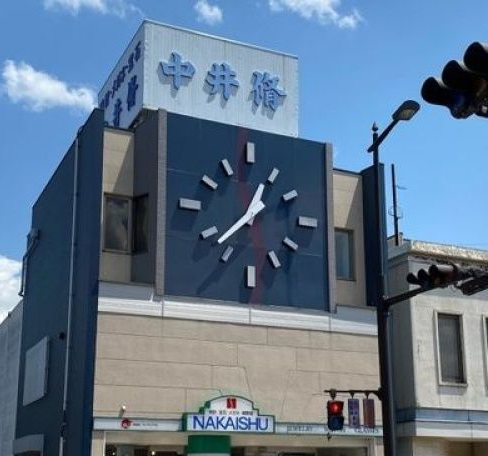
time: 12:37
